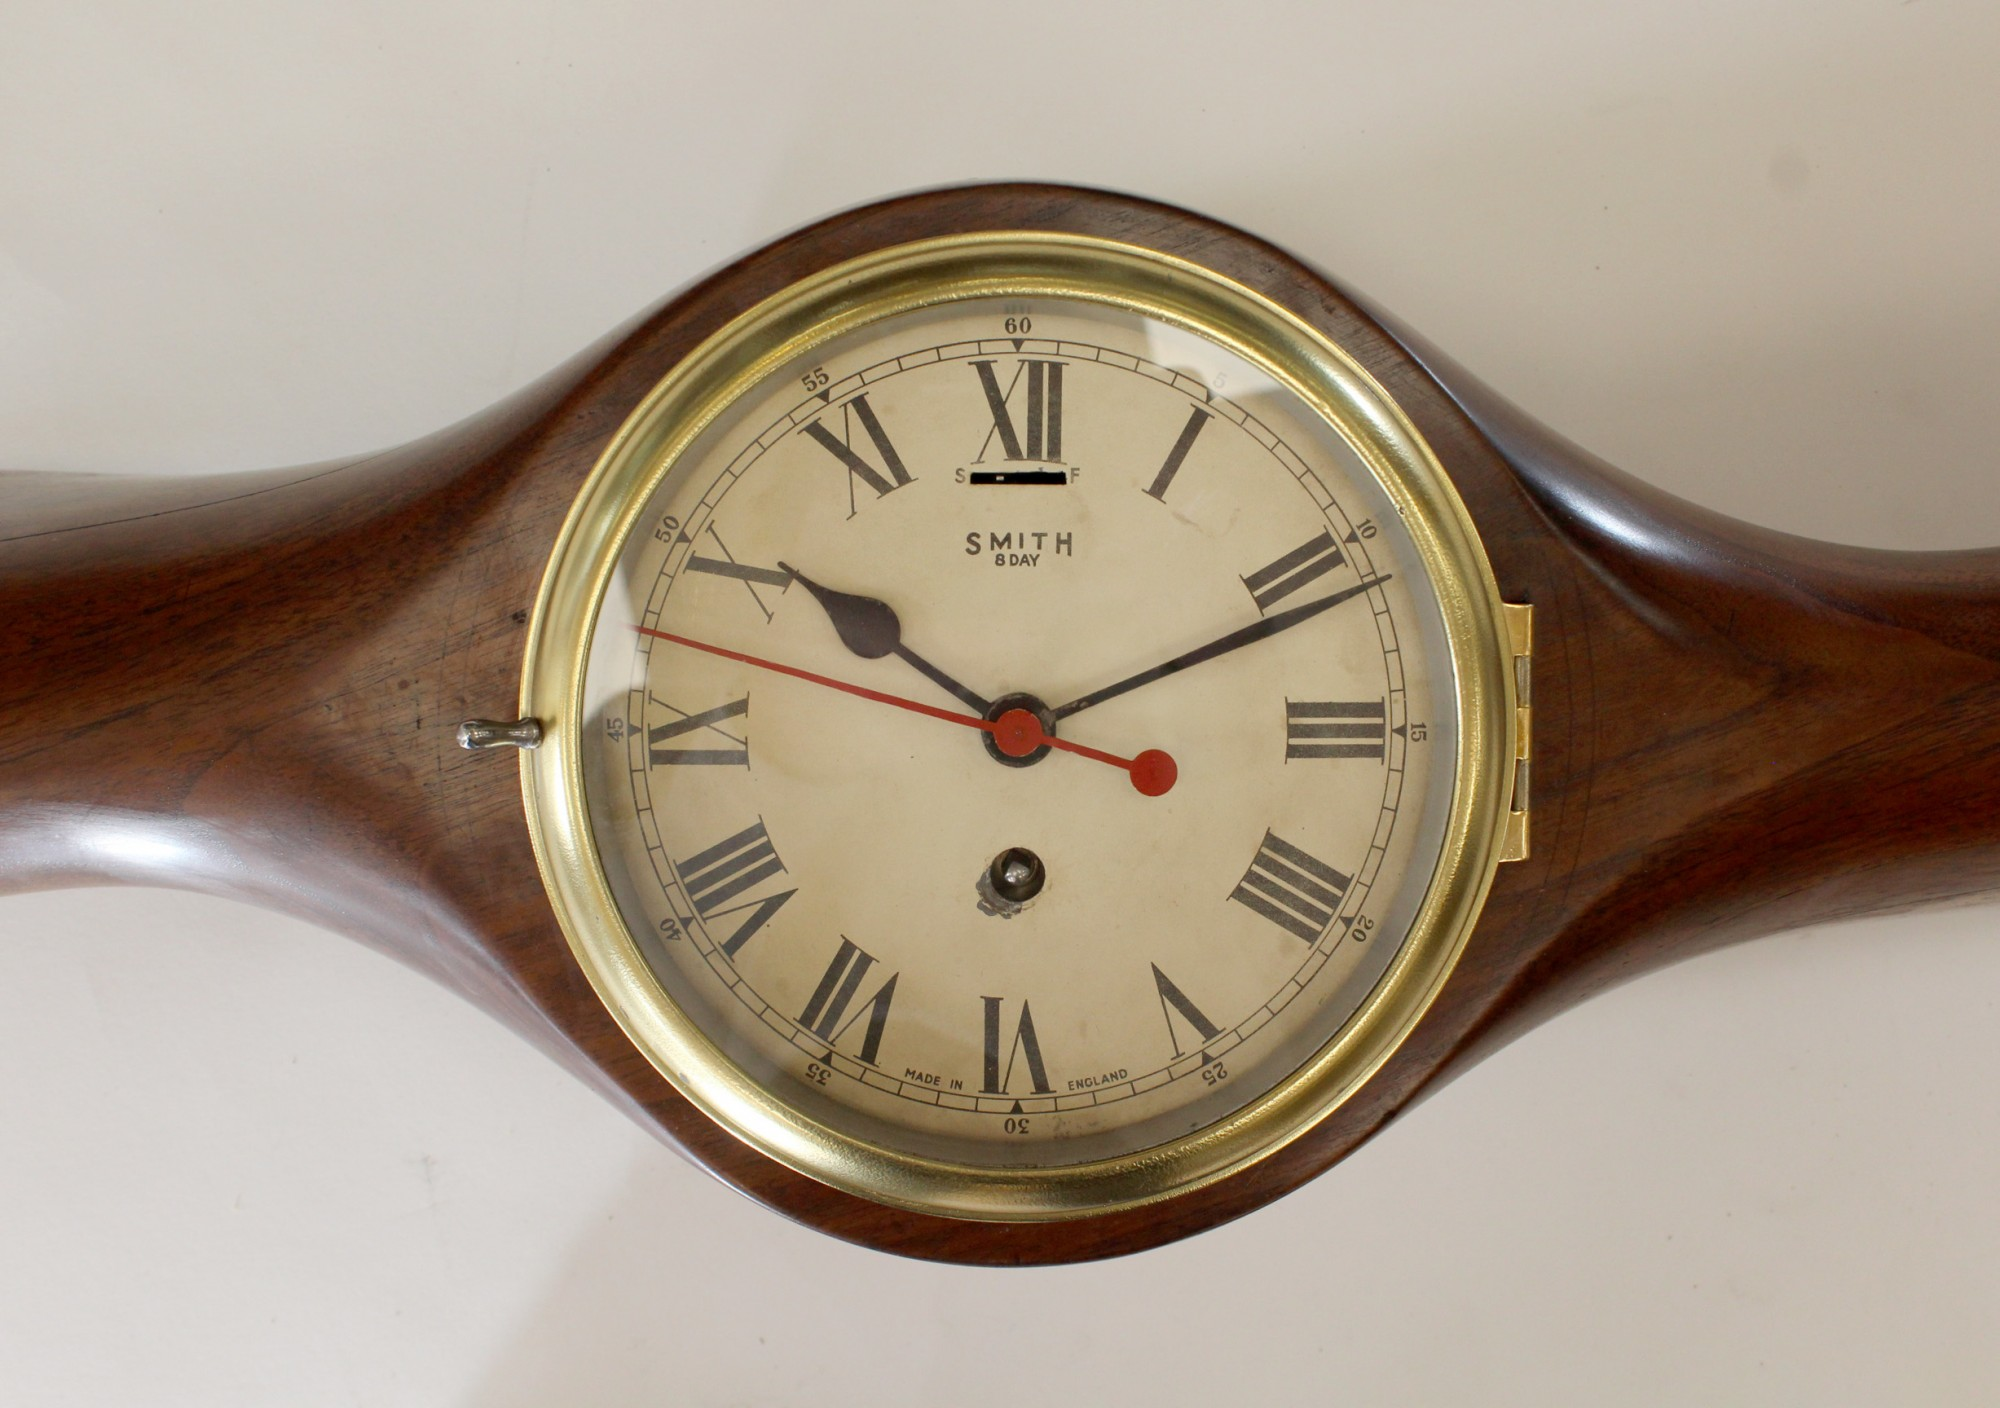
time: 10:11
